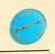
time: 8:11
